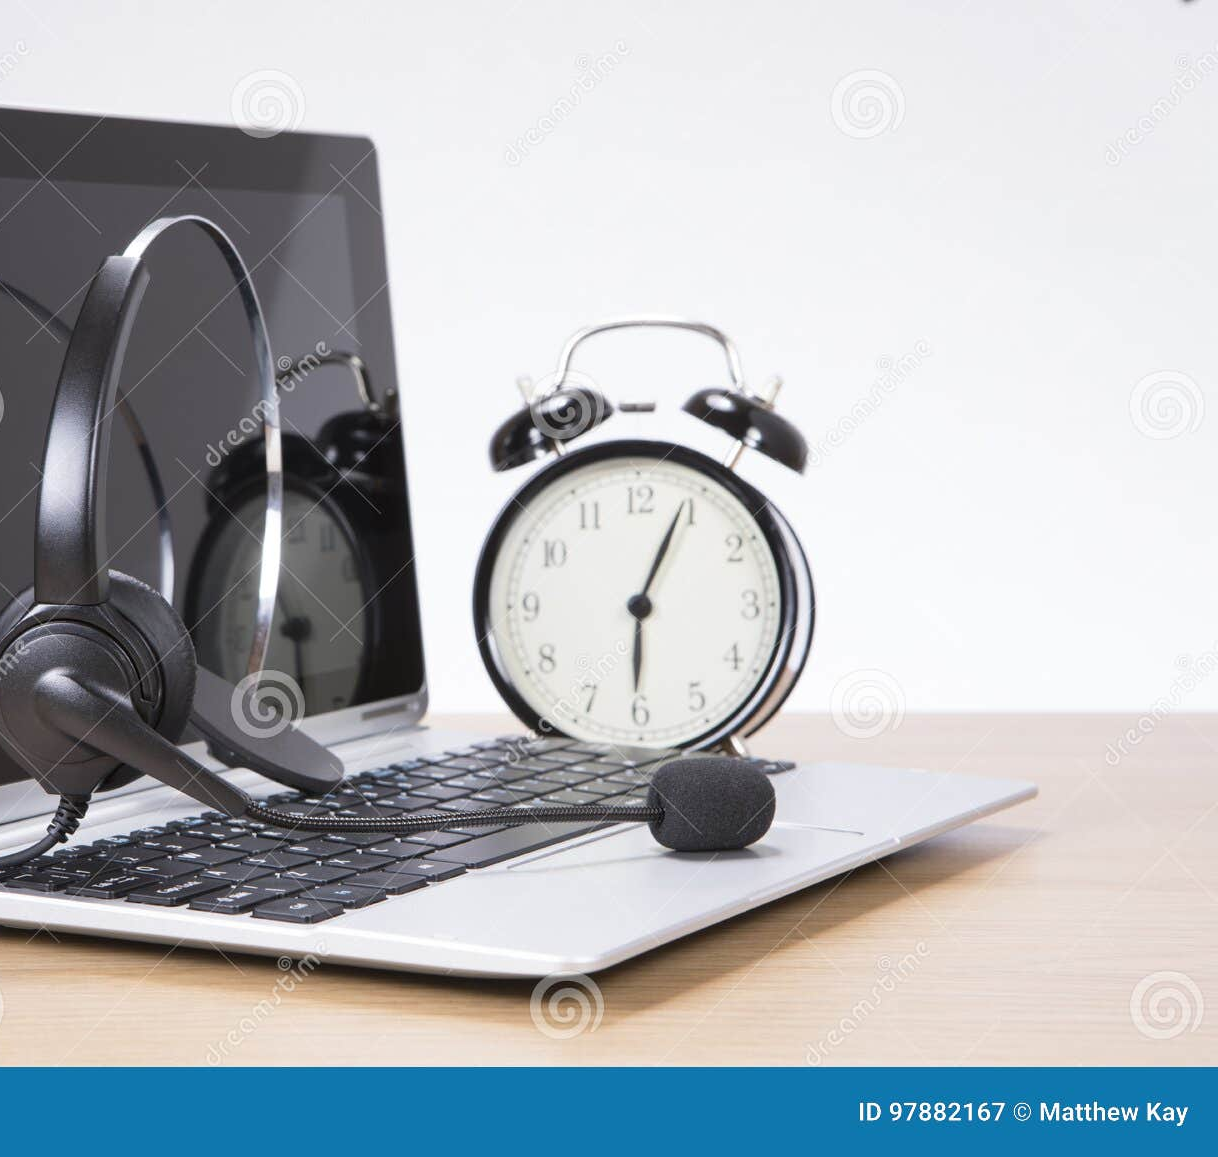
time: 6:04
